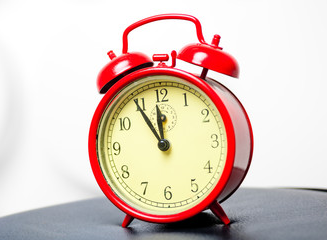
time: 11:54
